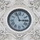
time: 2:56
